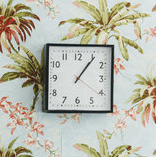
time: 1:06
